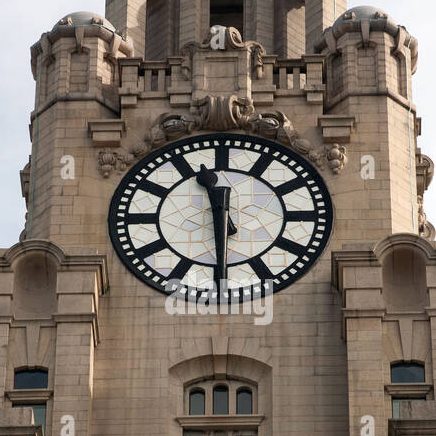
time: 11:29
